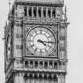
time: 4:15
